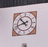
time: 10:42
